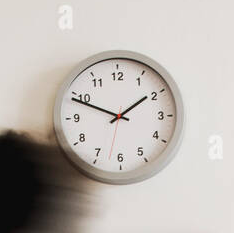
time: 1:48
